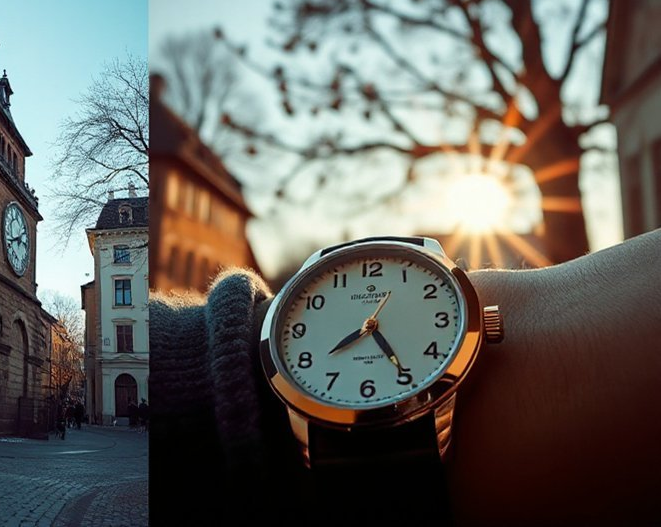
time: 7:24
